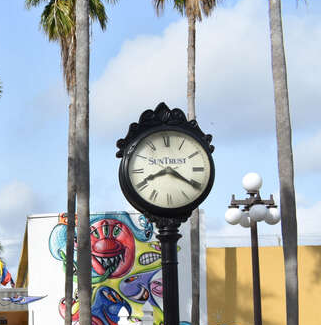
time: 8:20
